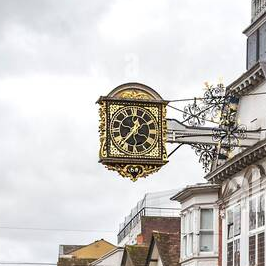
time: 12:36
